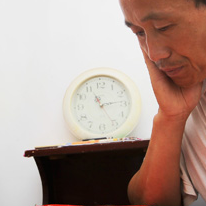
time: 11:13
